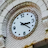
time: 3:22
